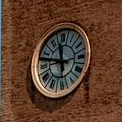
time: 11:47
